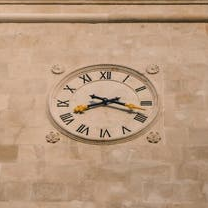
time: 8:18
